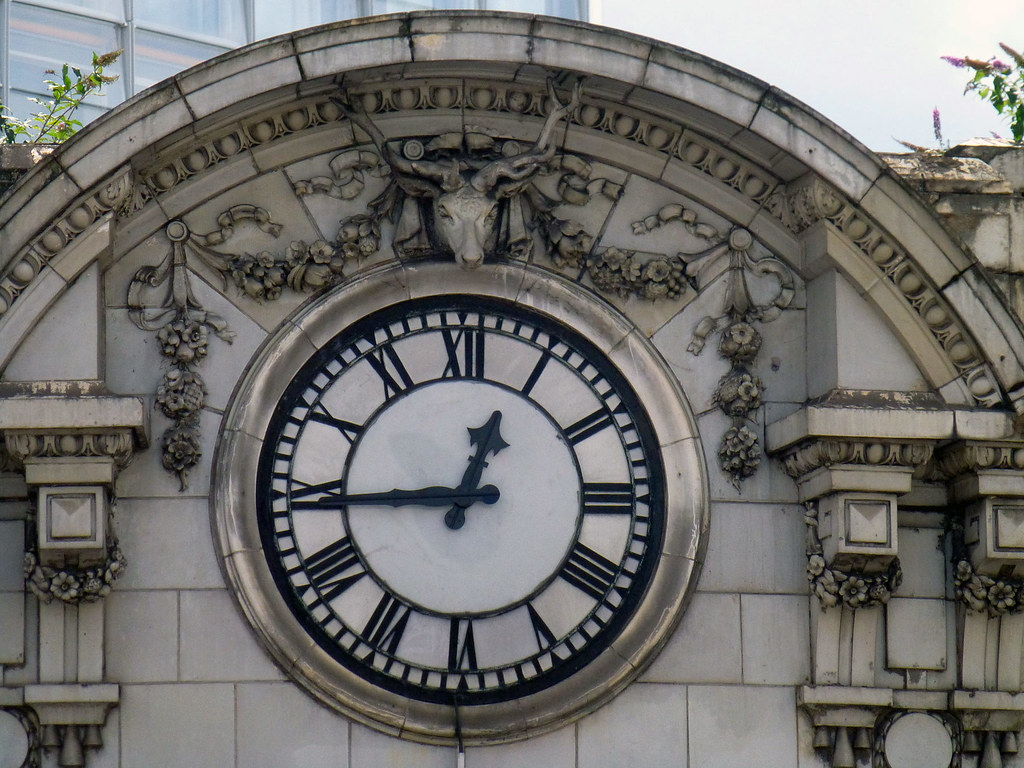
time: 12:44
